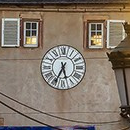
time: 5:34
